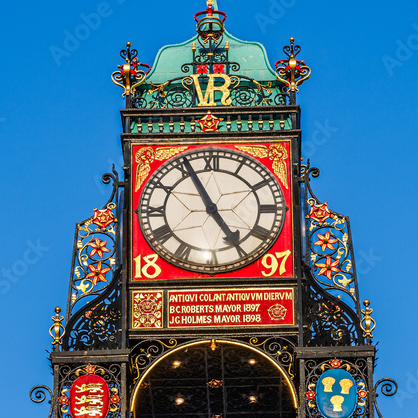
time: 4:55
